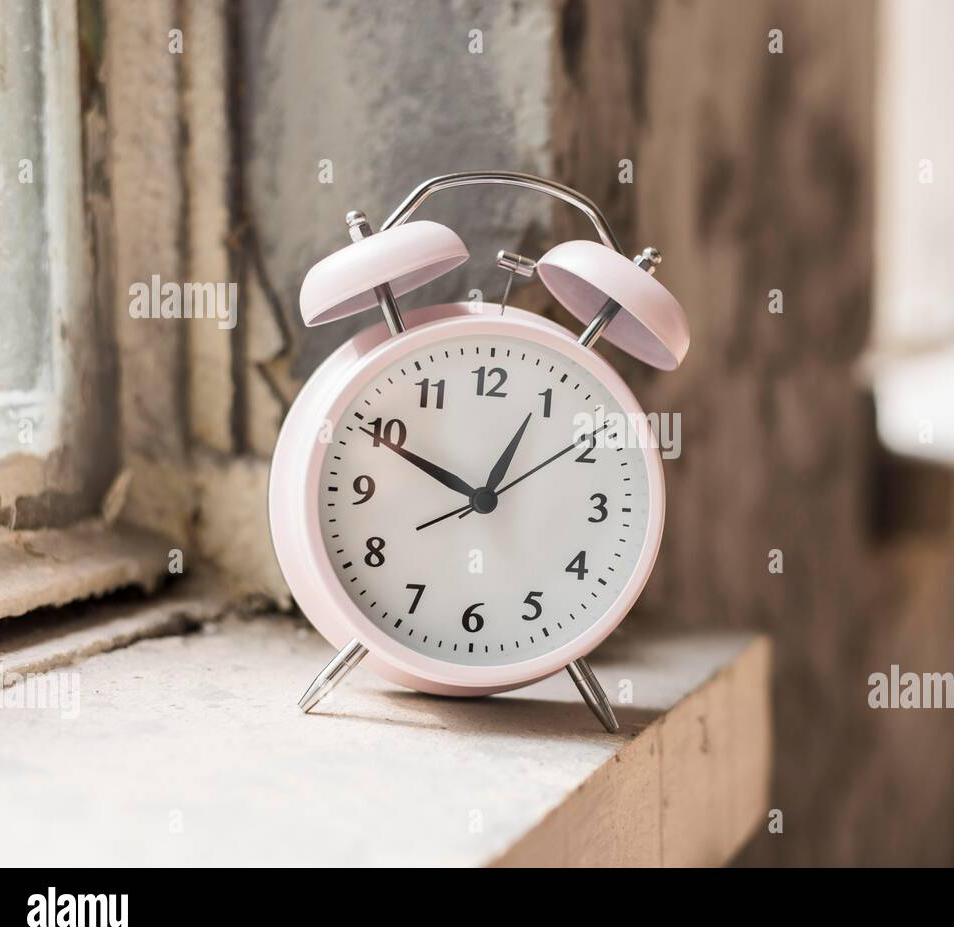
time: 12:49
